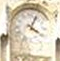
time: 4:04
